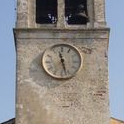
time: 11:27
